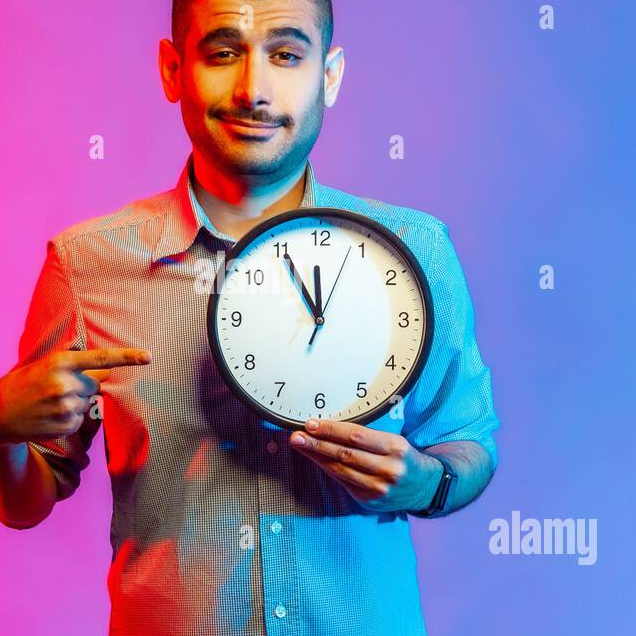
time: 11:54
